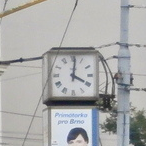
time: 4:01
